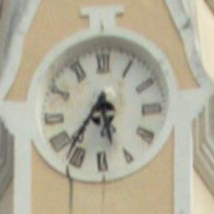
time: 5:35
